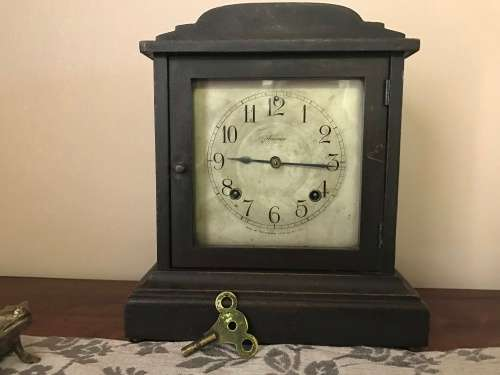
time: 9:15
